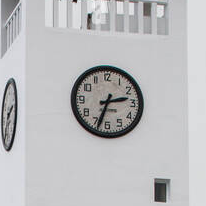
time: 2:33
